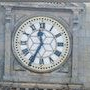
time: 11:34
